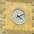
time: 4:10
